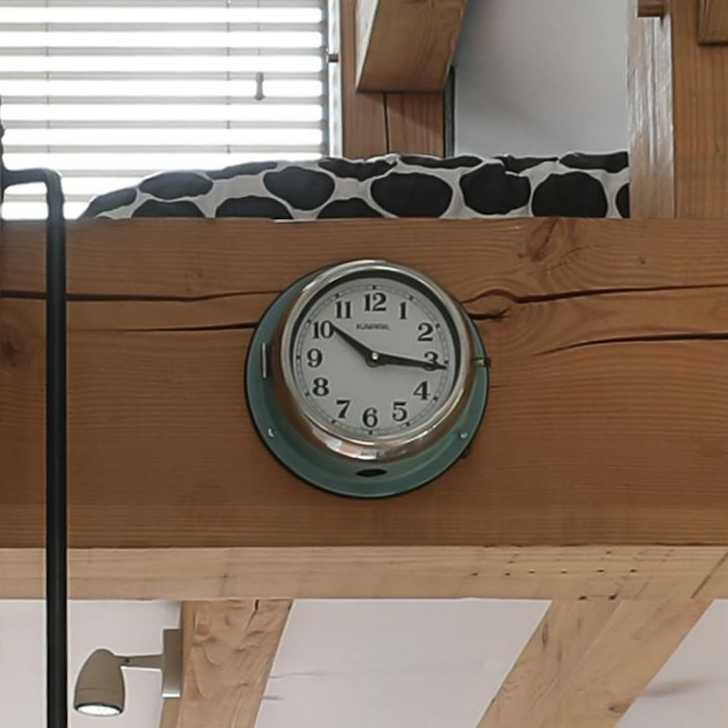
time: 10:15
